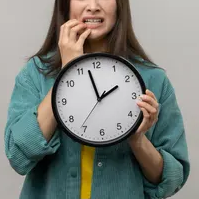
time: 1:57
